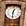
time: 12:30
